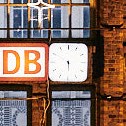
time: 5:49
